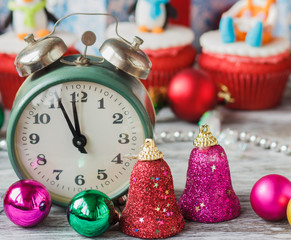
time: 11:55
